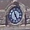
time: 4:56
